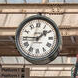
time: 1:45
